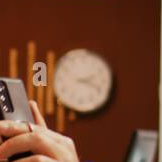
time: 2:18
